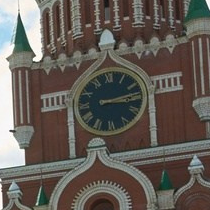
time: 3:13
